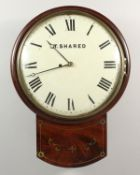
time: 10:42
